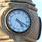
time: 4:19
